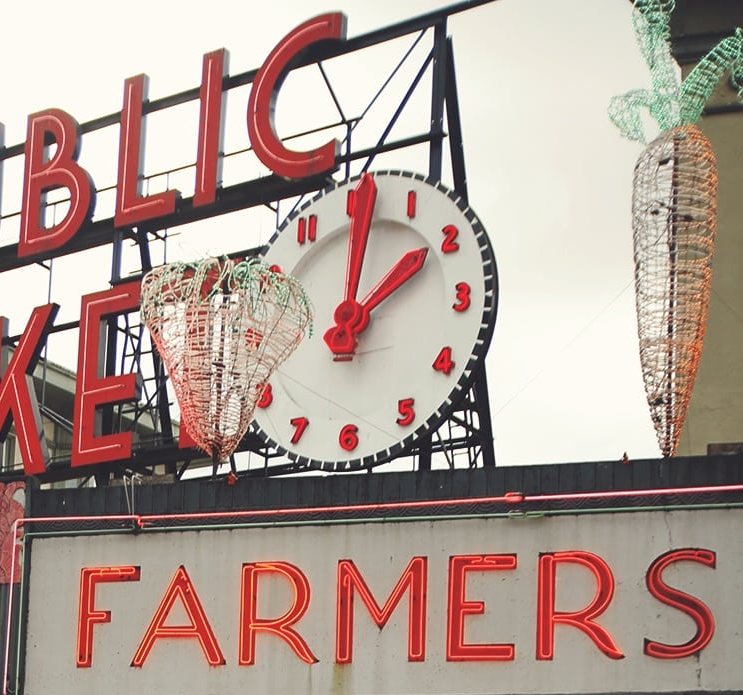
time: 2:01
